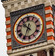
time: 10:34
